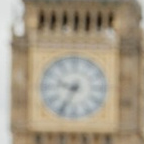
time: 9:34
